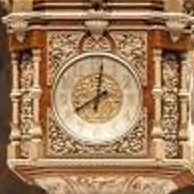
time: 8:01
